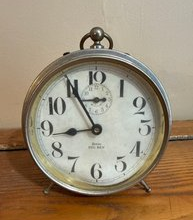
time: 8:55
